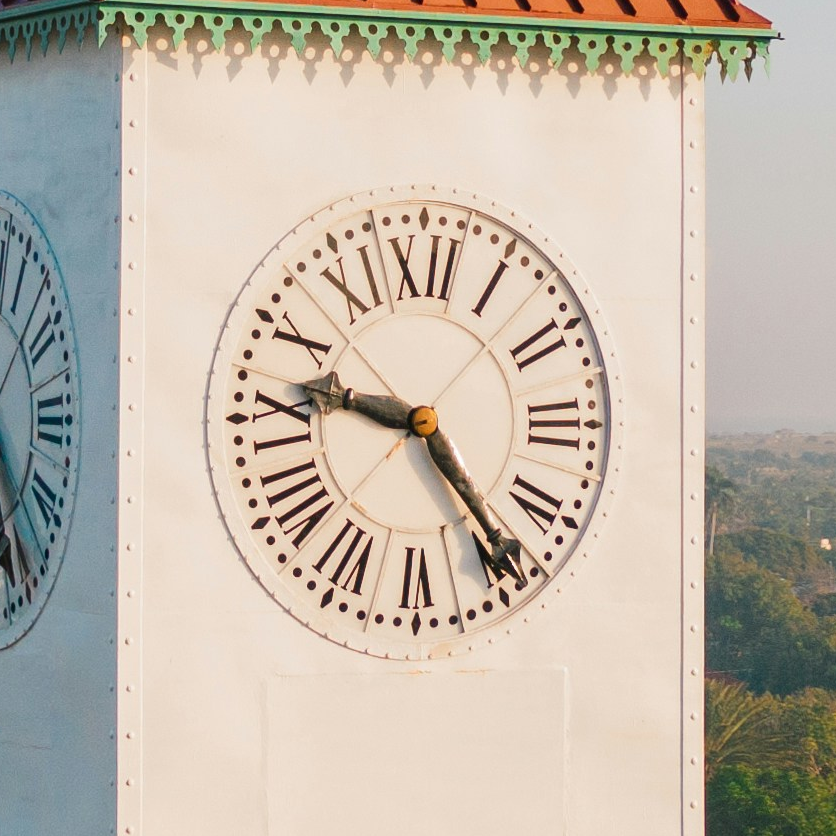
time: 9:23
